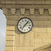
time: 7:07
